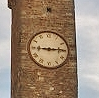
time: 9:14
